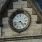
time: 4:42
